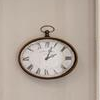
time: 2:03
